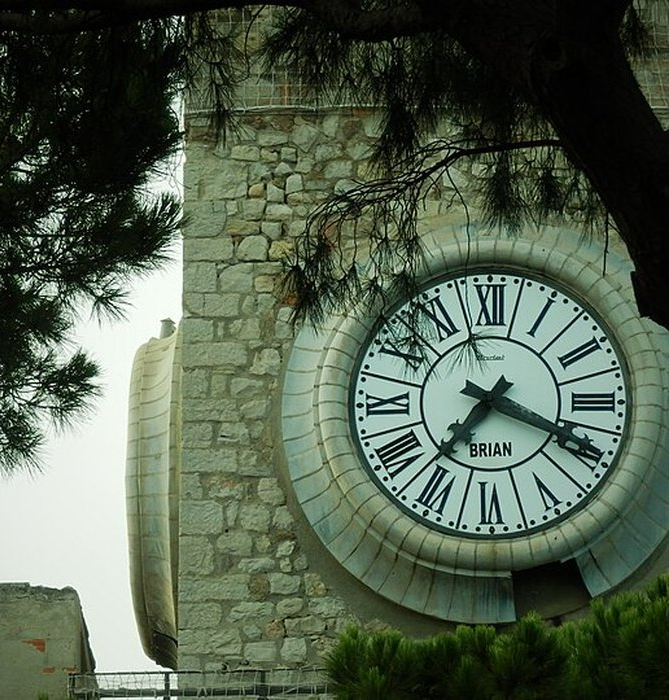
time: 7:18
